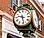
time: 9:28
